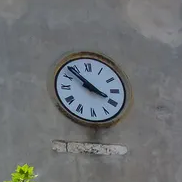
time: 3:52
